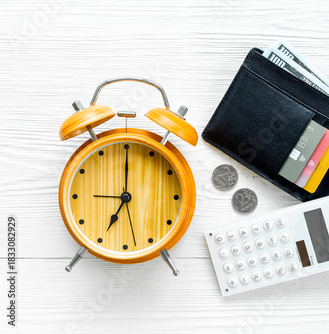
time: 7:00
